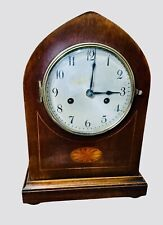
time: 3:01
